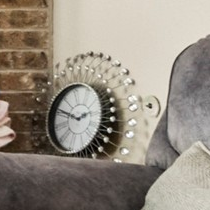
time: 2:48
